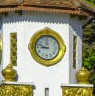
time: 8:47
